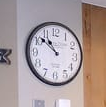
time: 10:51
